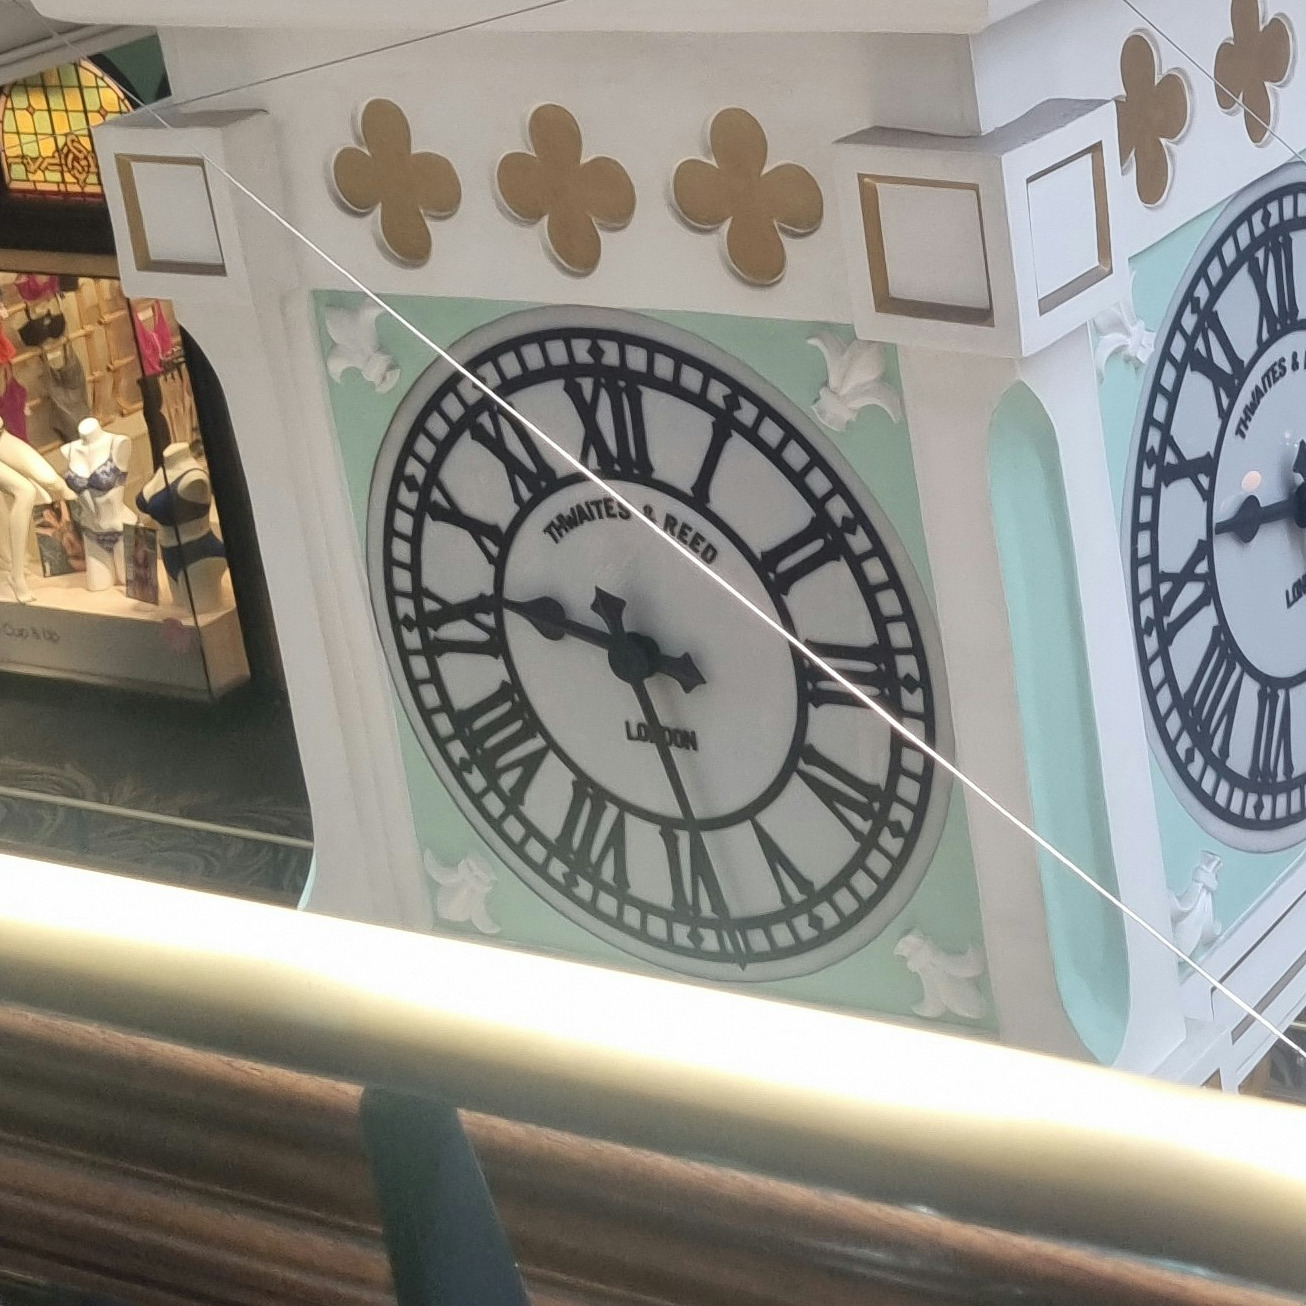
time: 9:28
